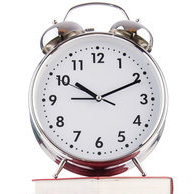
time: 10:11
